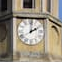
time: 2:01
